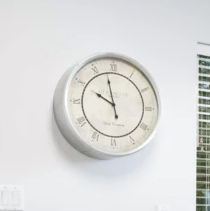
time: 9:57
